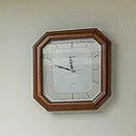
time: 11:48
